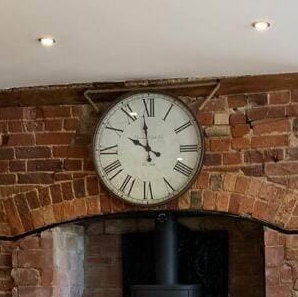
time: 9:58
